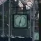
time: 6:32
